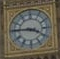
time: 3:45
